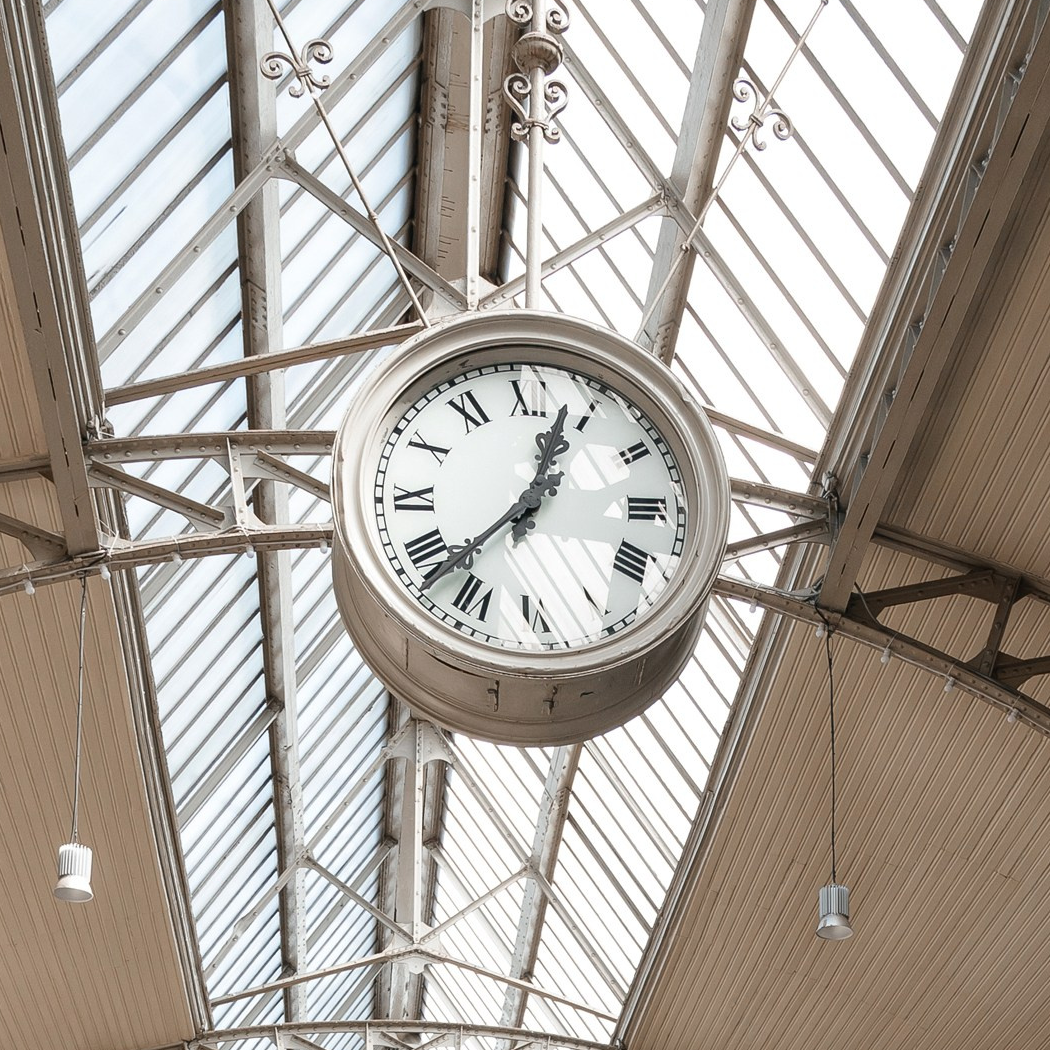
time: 12:38
